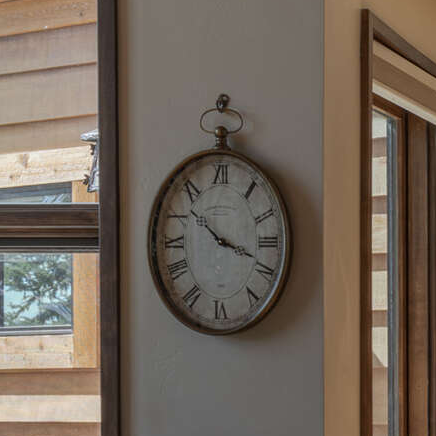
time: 10:18
